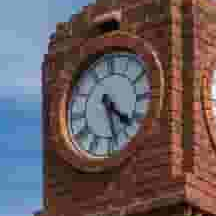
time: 4:28
